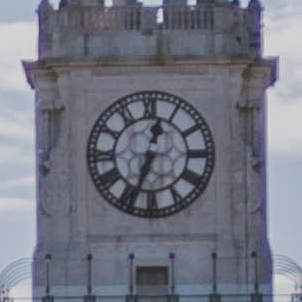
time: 12:33
